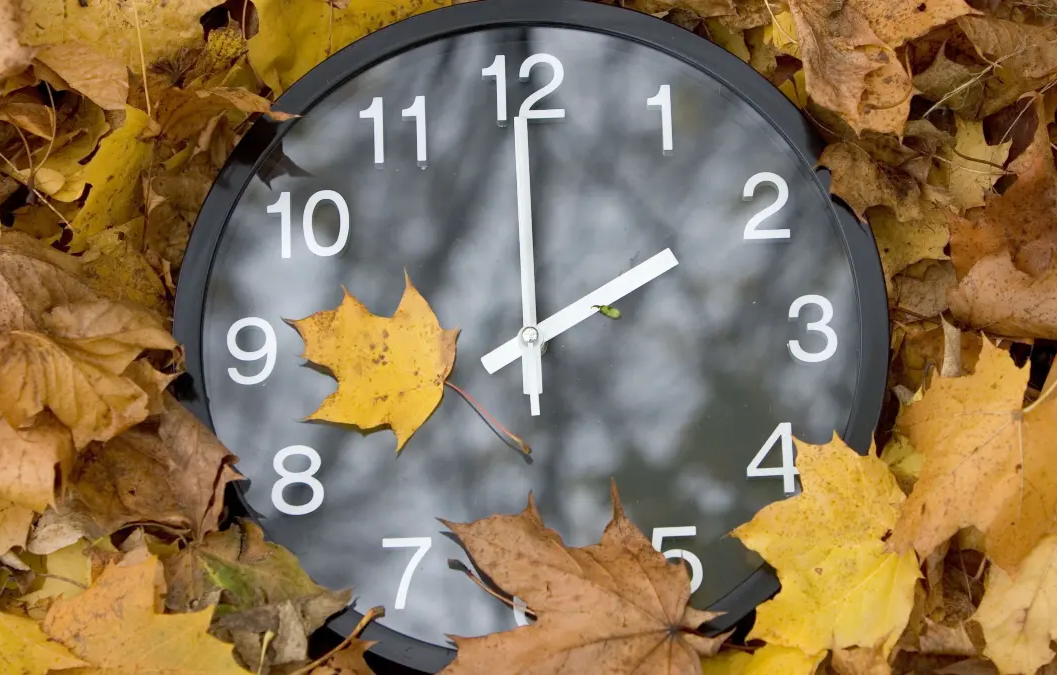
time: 2:00
